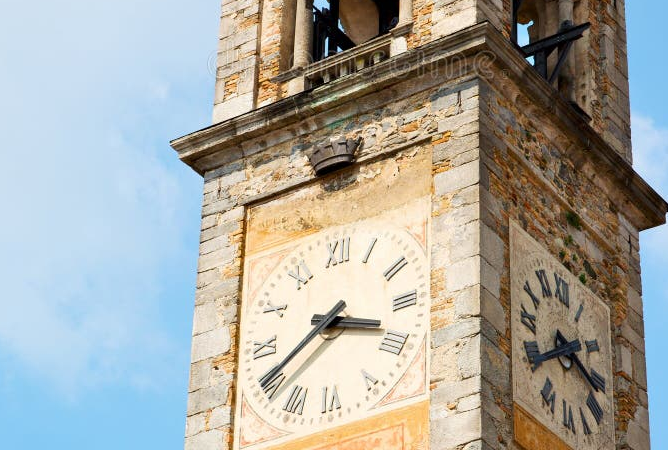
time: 3:40
